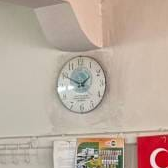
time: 1:49
